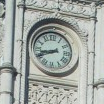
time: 8:41
